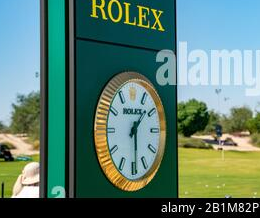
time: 1:29
